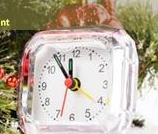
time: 11:54
